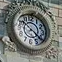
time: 10:21
